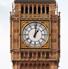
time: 1:01
